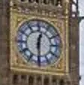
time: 12:29
